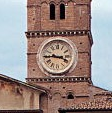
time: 3:44
